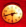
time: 2:42
